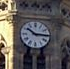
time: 10:15
